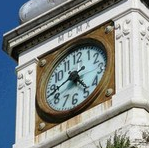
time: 4:42
